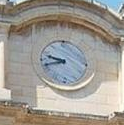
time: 9:42
